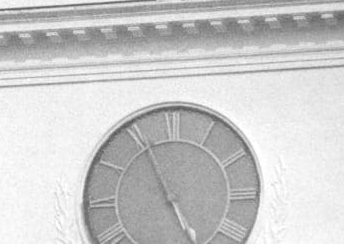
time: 4:55
